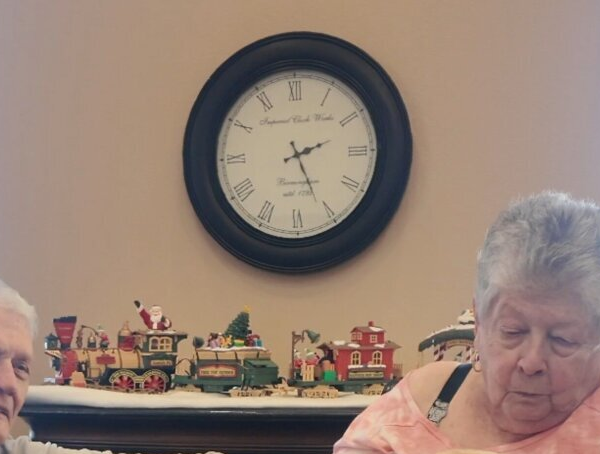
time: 2:25
